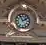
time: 1:56
